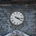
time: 4:16
